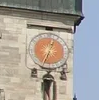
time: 12:33
